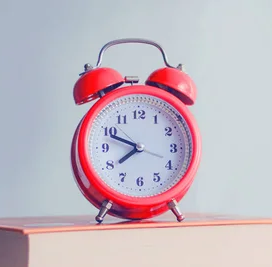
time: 7:48
